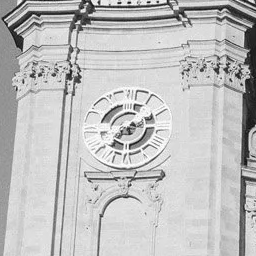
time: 7:10
